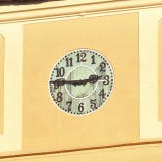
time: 2:46
